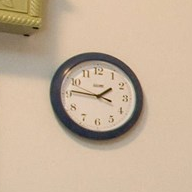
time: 1:46
